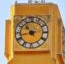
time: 10:42
